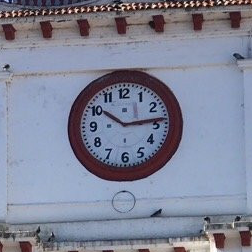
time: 10:13
